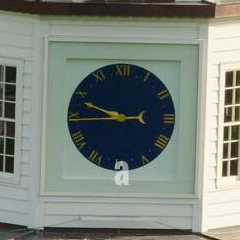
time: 9:44
